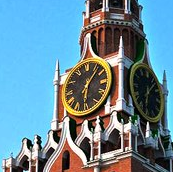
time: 6:06
